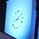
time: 8:07
